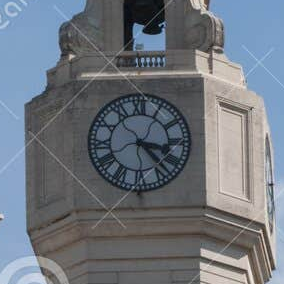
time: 3:23
